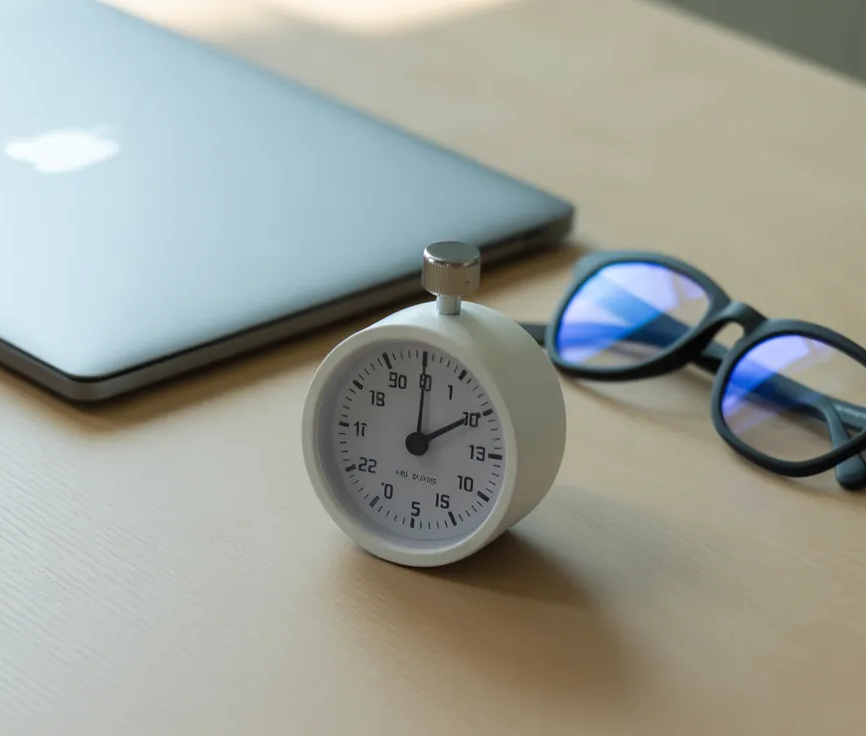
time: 2:00
